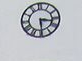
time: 3:29
